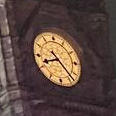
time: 8:23
